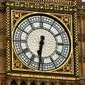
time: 6:31
